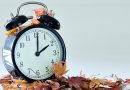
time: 2:00
